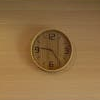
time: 4:46
